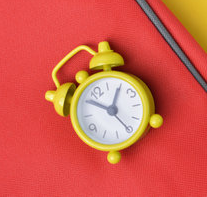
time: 12:50
